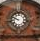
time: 9:48
